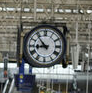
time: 8:53
